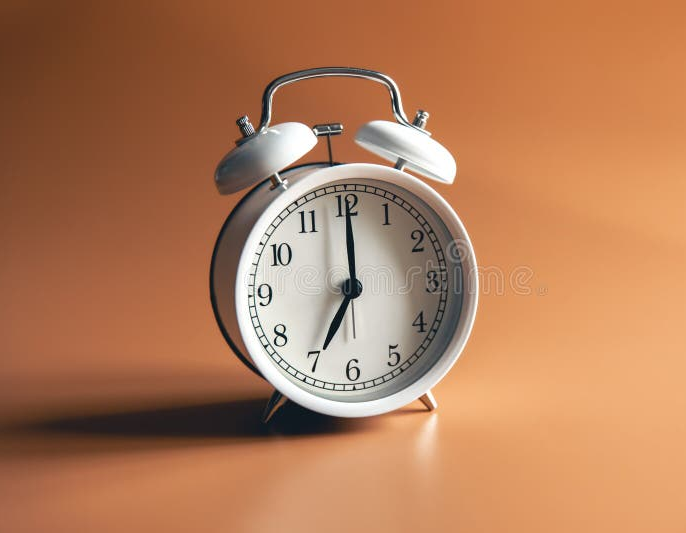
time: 7:00
